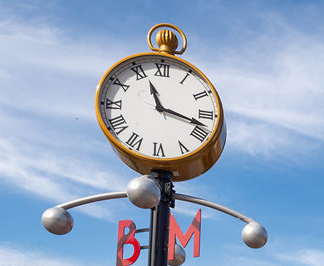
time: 11:17
